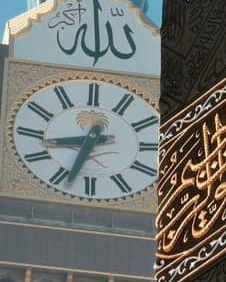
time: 8:33
